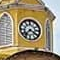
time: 7:20
